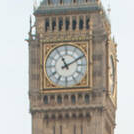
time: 11:10
